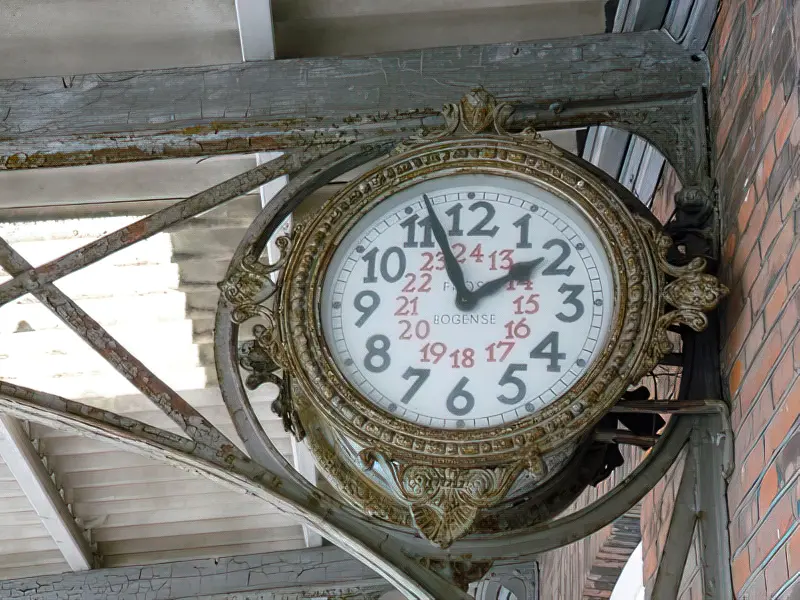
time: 1:56
